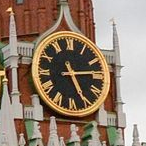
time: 5:14
